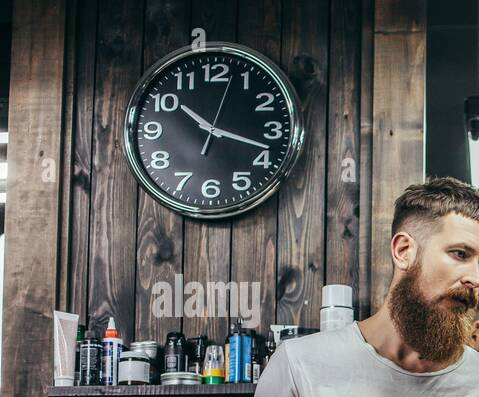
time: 10:17
